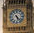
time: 5:23
